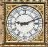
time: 9:11
